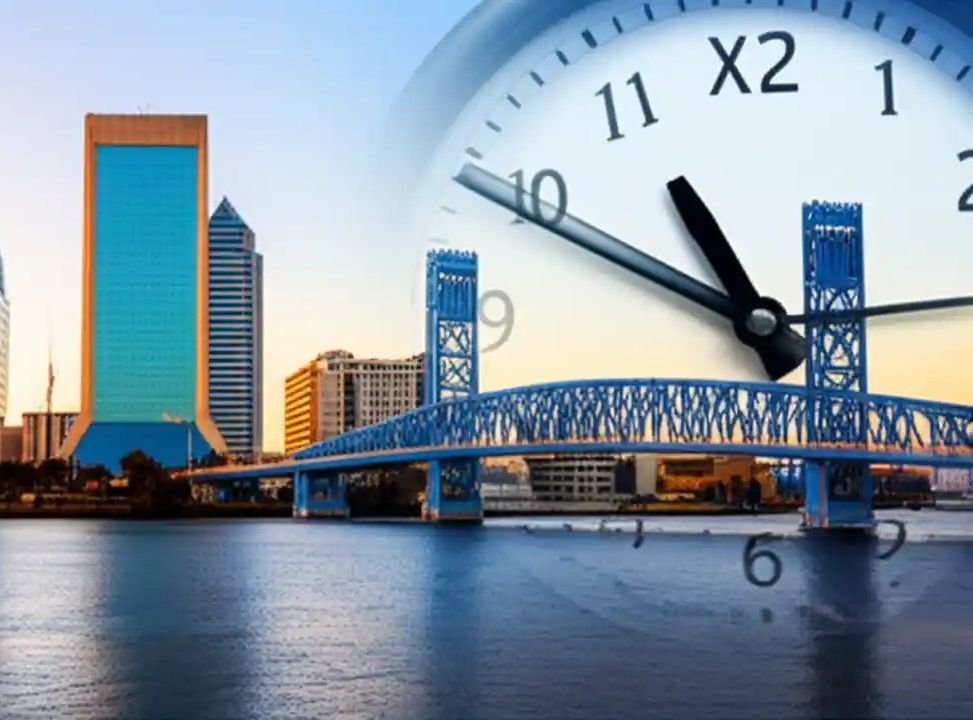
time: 10:49
